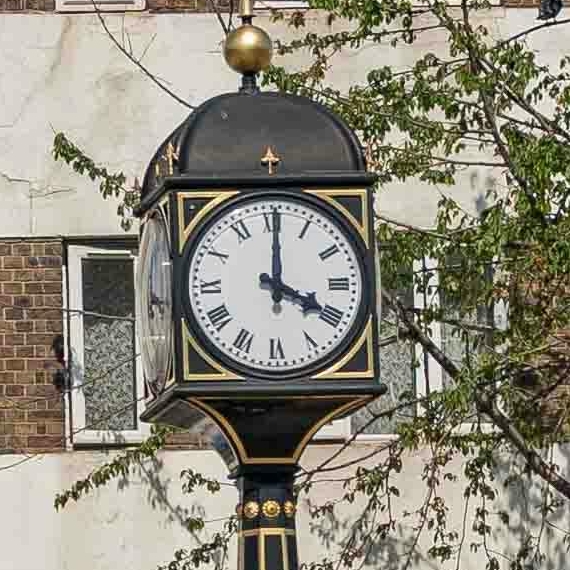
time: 4:00
